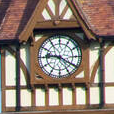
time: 9:20
